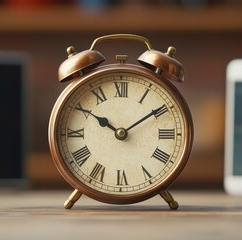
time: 10:09
